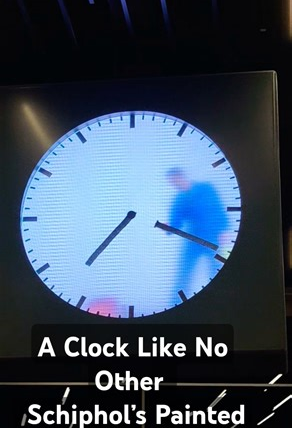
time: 7:19
